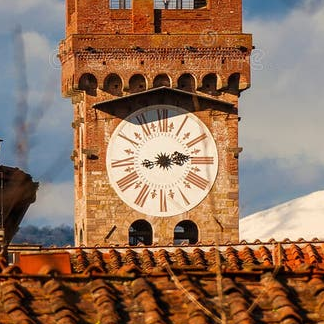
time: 2:12
